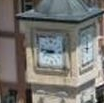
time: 8:46
